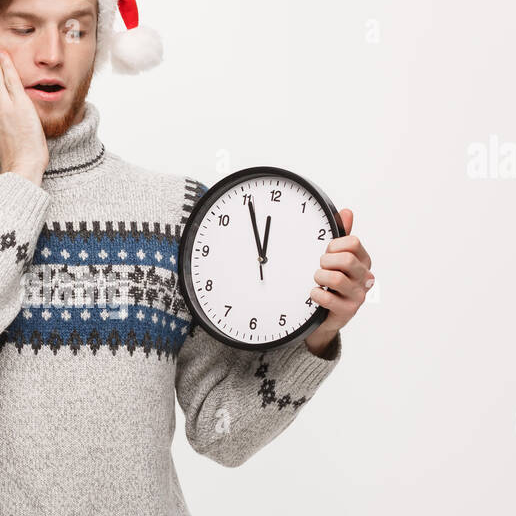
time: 11:55
